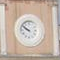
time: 9:50
